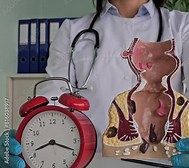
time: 8:18
